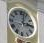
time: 3:02
